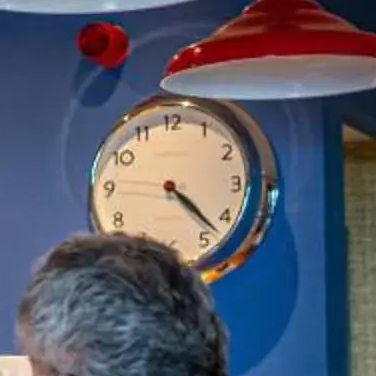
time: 4:22
